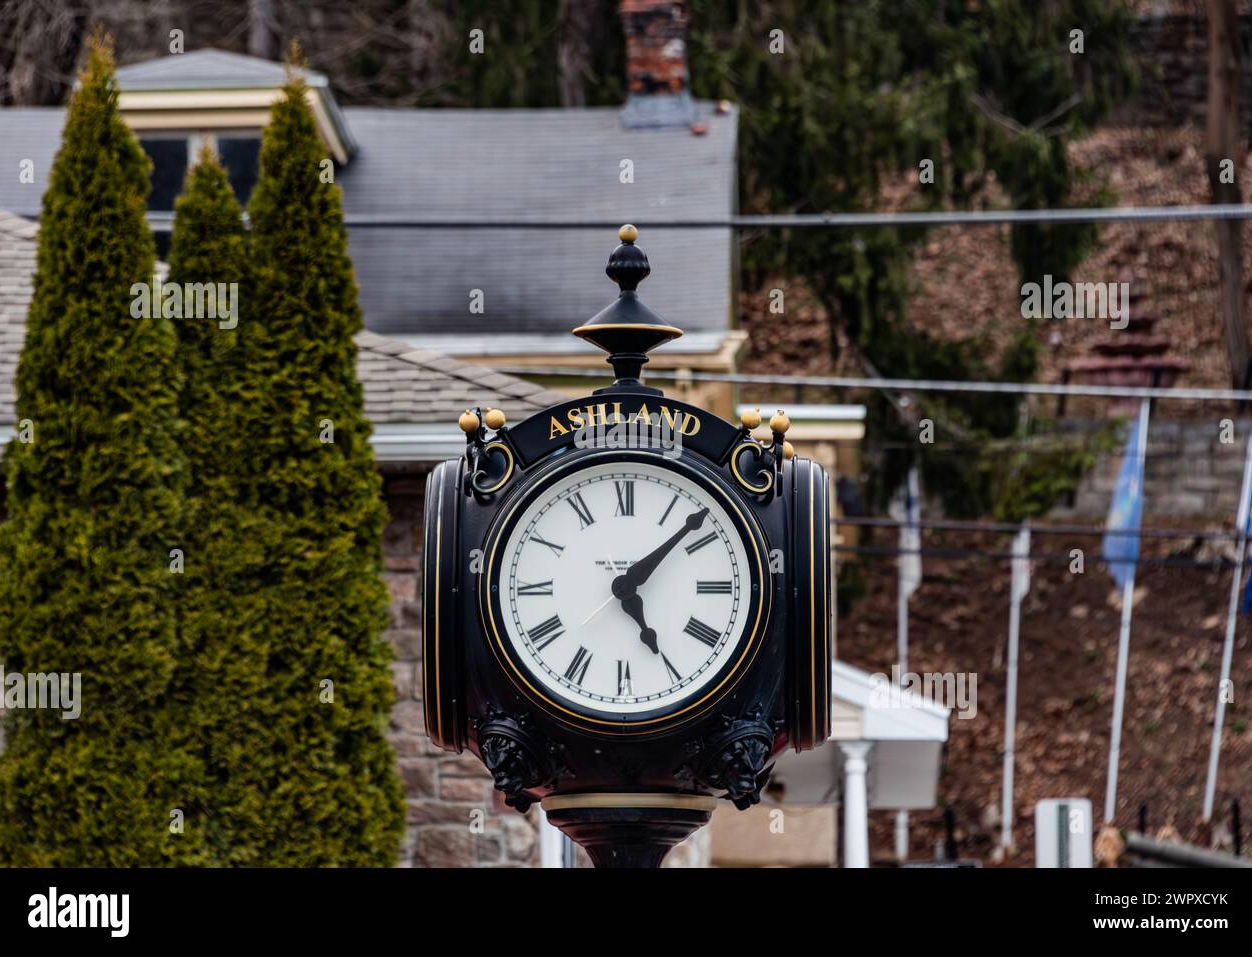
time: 5:06
